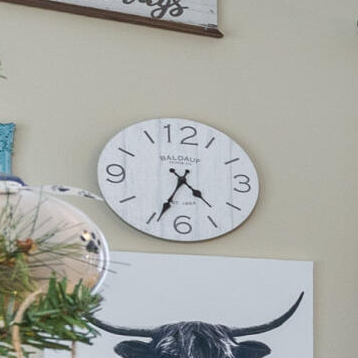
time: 4:34
